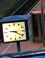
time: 9:21
